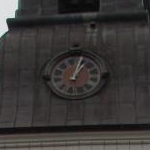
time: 1:02
